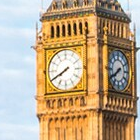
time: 7:40
